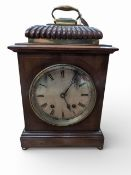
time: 5:05
